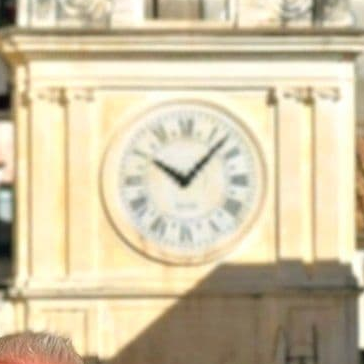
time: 10:07
